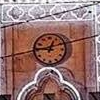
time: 12:45
